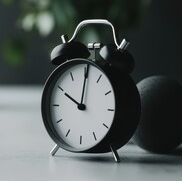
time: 10:00
